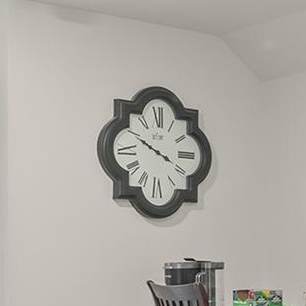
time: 3:50
